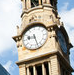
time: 8:27
